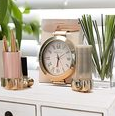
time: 6:10
